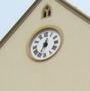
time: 12:34
